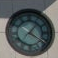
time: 1:20
